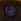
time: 9:57
